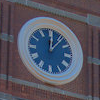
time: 12:06
